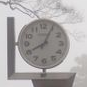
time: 8:04
